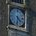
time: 4:31
